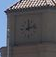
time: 12:12
